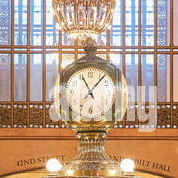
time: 11:07
